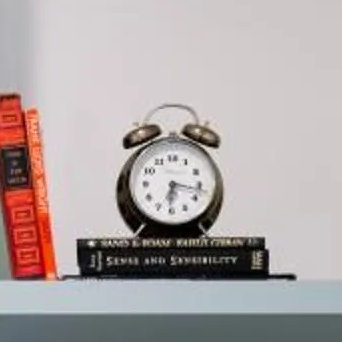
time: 6:16
